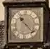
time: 10:22
